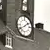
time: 1:39
